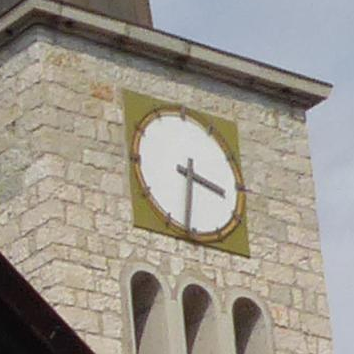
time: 3:31
